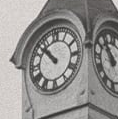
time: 10:52
